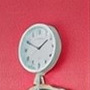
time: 1:49
